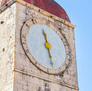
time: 11:28
